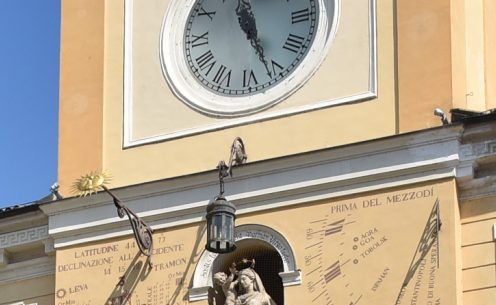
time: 11:26
